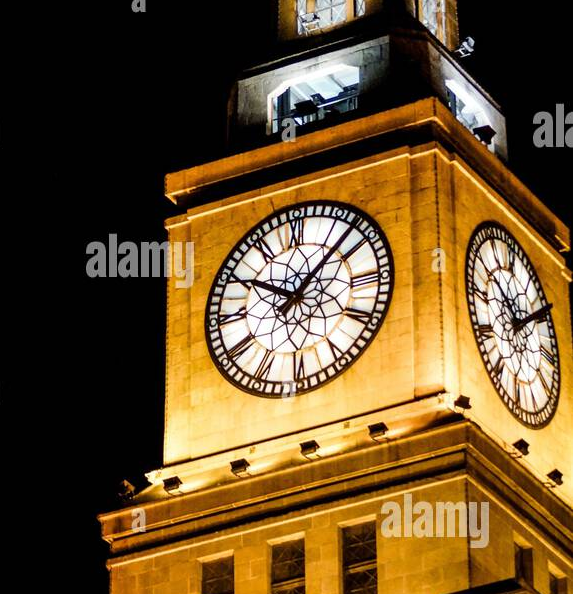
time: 10:07
